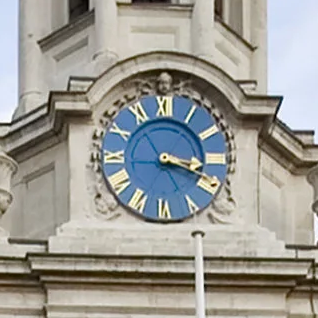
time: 3:18
